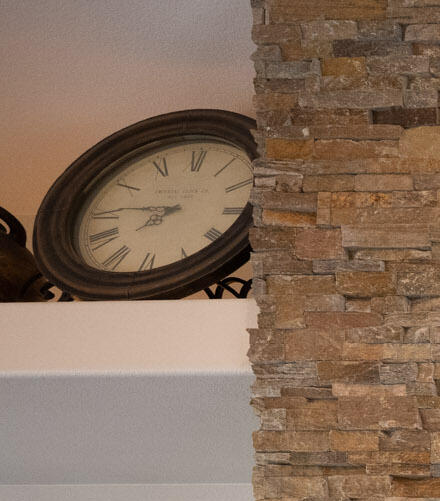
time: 7:45
